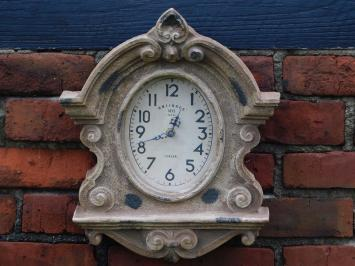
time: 12:41
